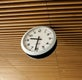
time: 9:31
